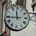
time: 11:44
